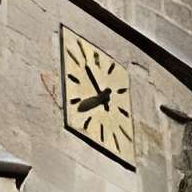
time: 10:38
